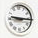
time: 9:15
